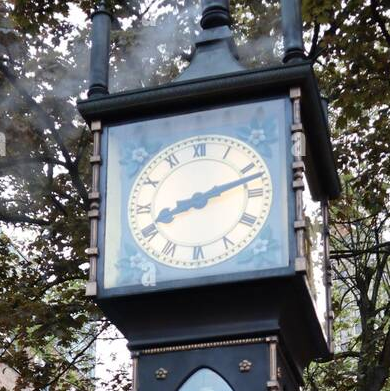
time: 8:12
